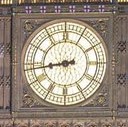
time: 8:43
